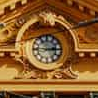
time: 2:45
